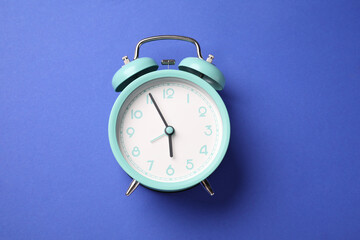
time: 5:55
